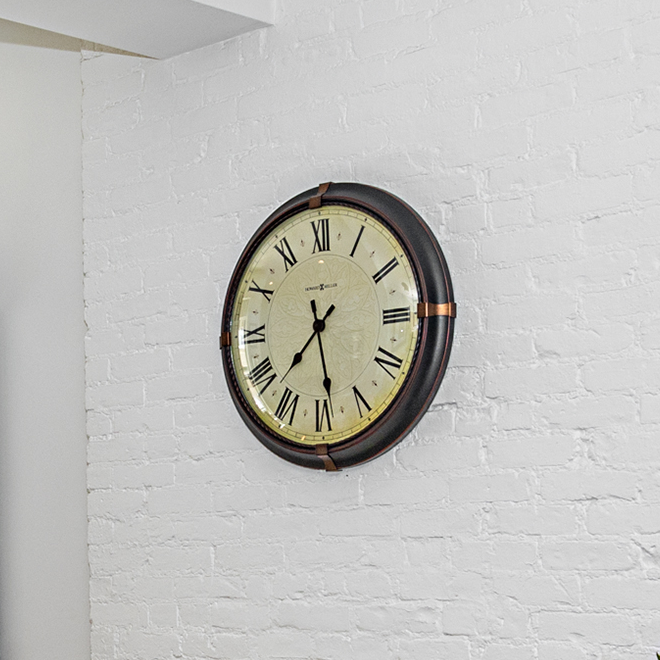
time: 7:28
